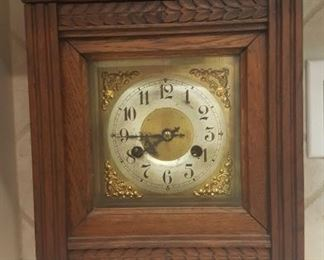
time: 7:44
